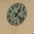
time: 1:21
